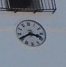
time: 3:40
